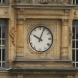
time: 10:03
